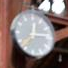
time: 12:14
